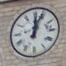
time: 12:03
